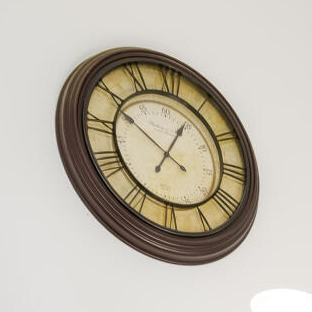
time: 12:49
